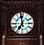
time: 6:58
